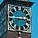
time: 2:44
